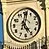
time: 5:01
